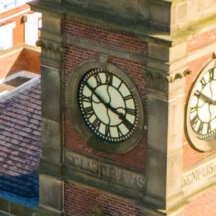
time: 3:49
